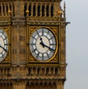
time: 11:18
